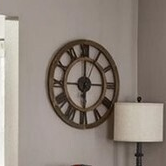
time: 5:59
